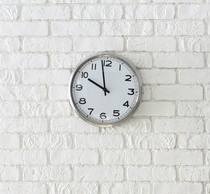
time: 9:58
